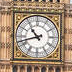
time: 10:42
